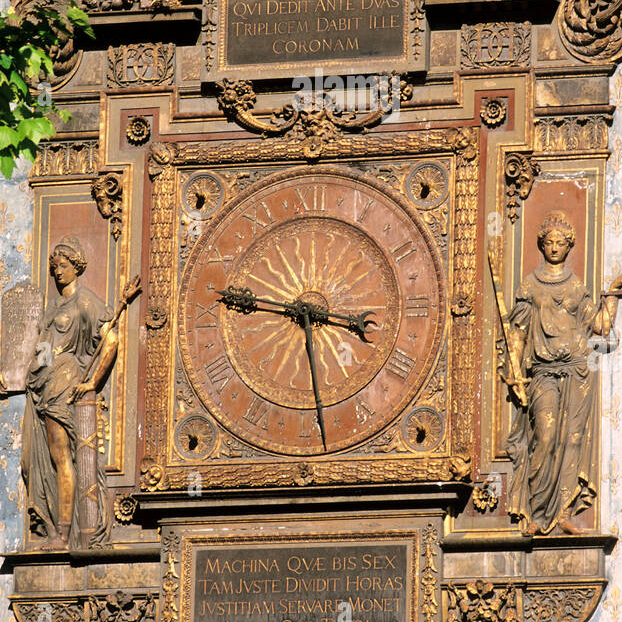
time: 3:29
